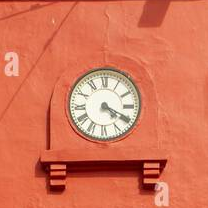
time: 4:19
